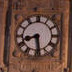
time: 8:28
